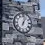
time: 1:02
